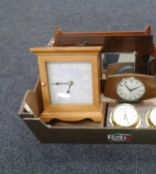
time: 6:44
